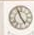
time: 4:56
